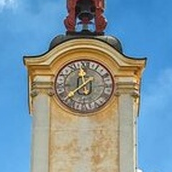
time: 11:37
